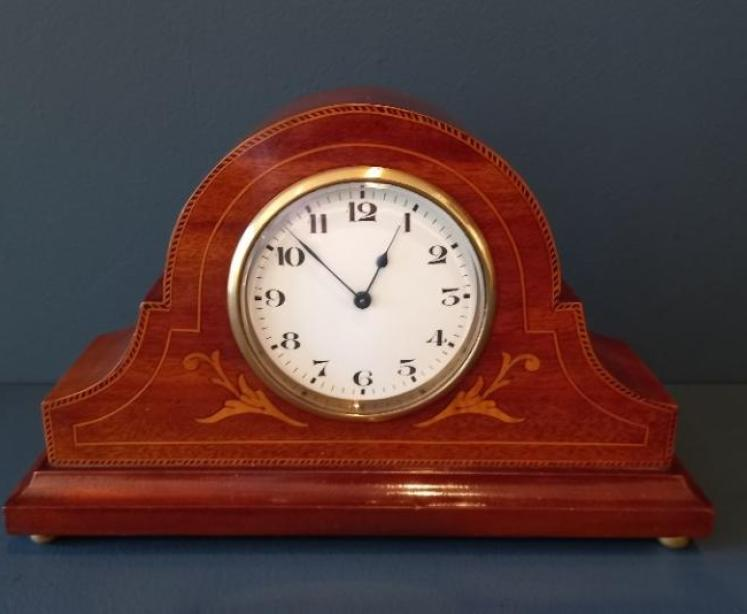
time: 12:52
